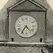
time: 4:35
